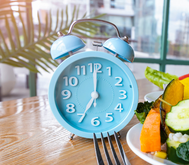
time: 7:00
